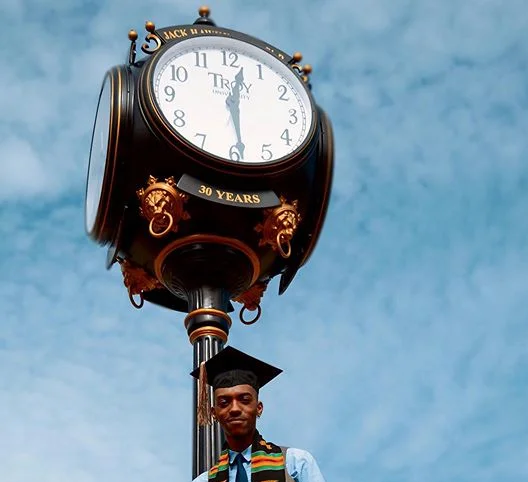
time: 12:28
